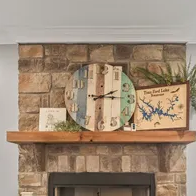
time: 2:15
